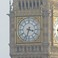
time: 3:32
